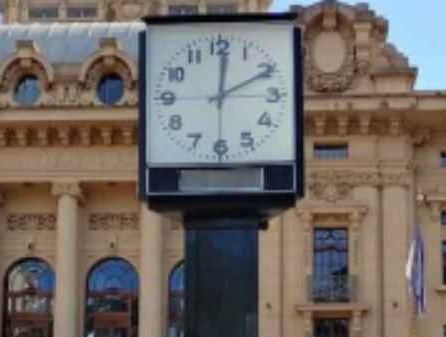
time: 12:10
